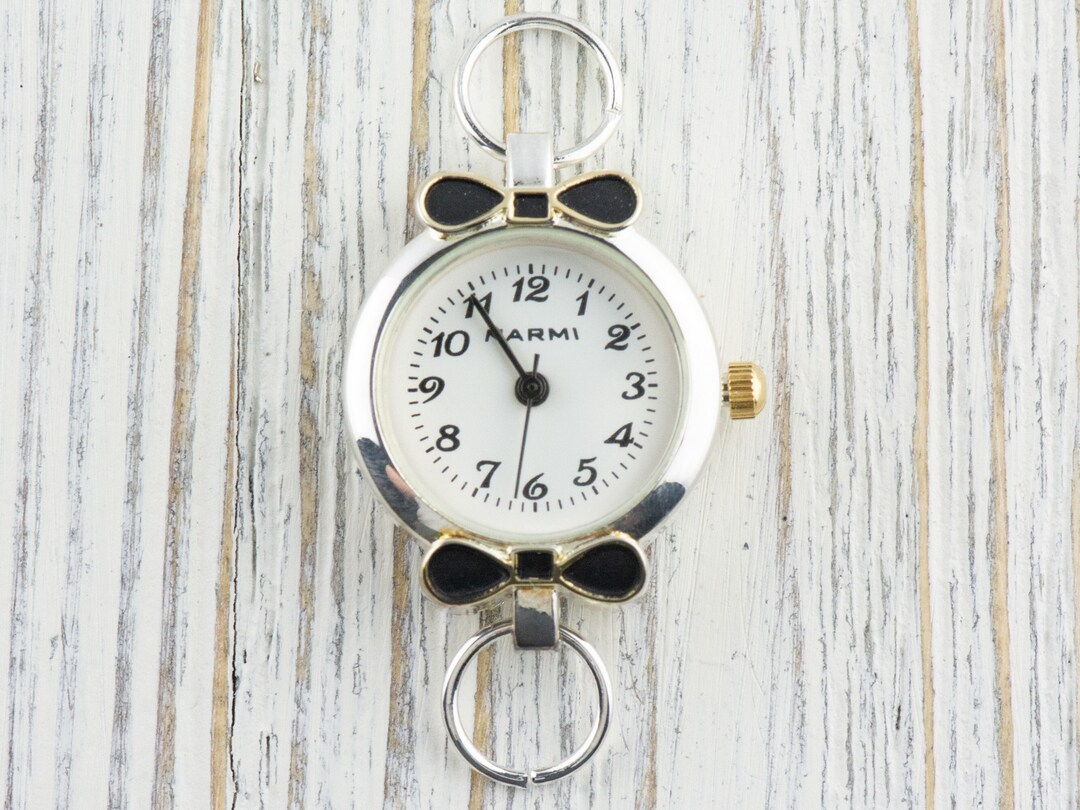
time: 10:54
